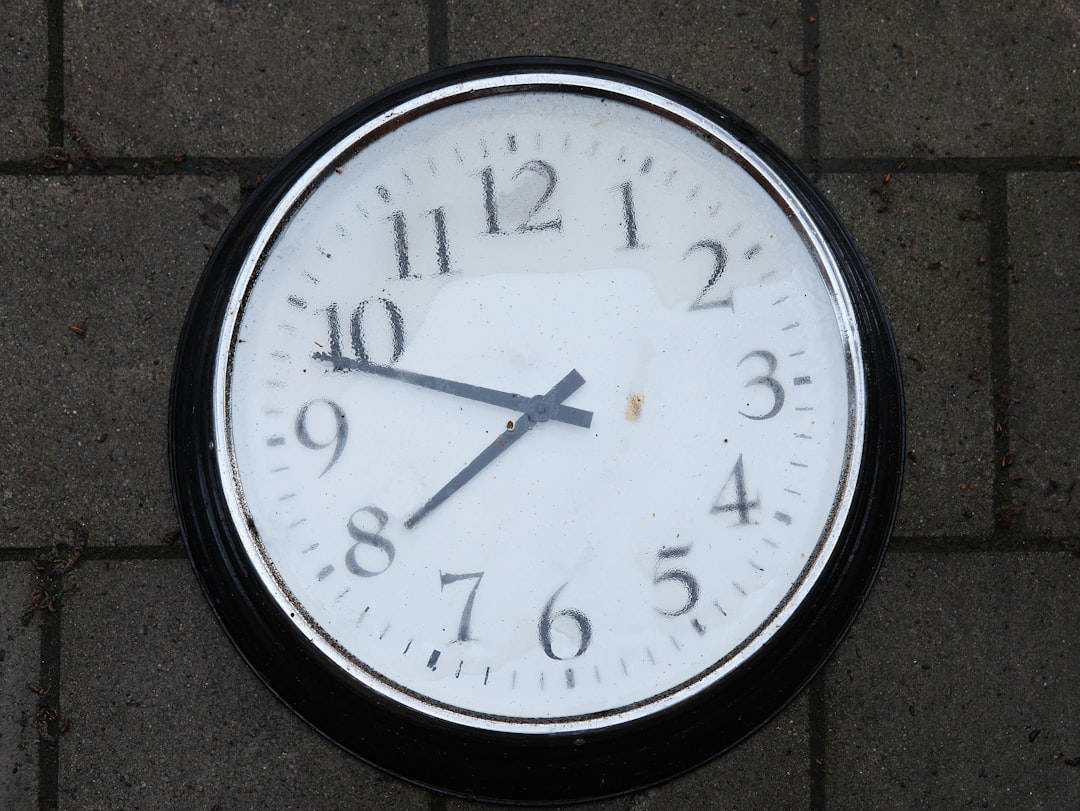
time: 7:48
